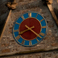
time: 8:21
